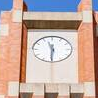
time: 11:30
